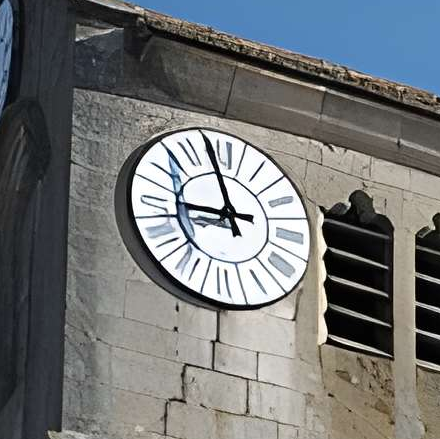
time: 8:57
